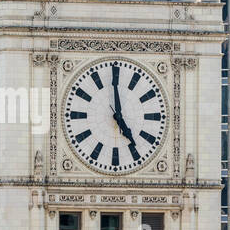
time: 4:59
